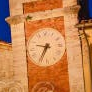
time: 9:35
